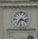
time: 7:17
